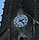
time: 2:23
